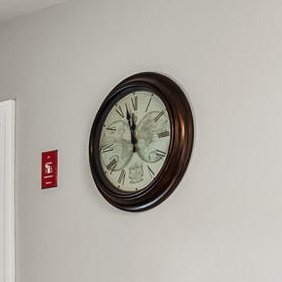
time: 11:57
